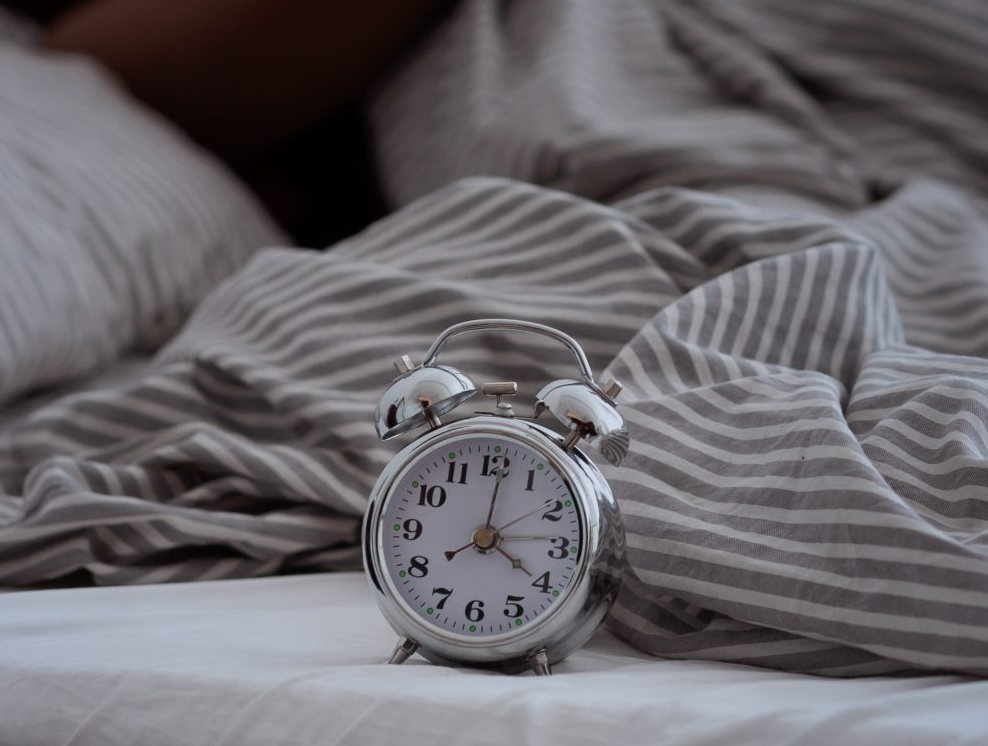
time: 4:01
